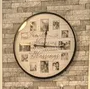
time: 12:16
